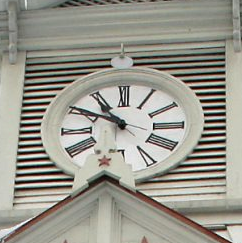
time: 10:50
